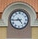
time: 4:43
